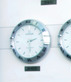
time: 2:29
